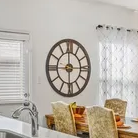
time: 5:59
